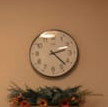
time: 2:22
